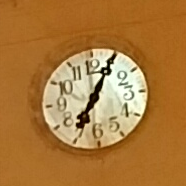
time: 7:04
